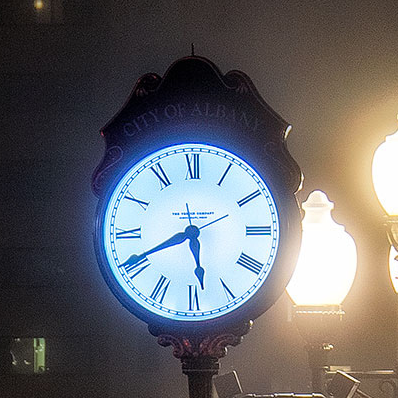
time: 5:40
